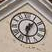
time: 1:32
